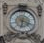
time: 6:18
